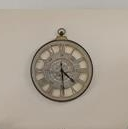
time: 4:29
